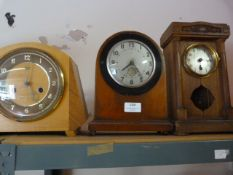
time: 7:23
